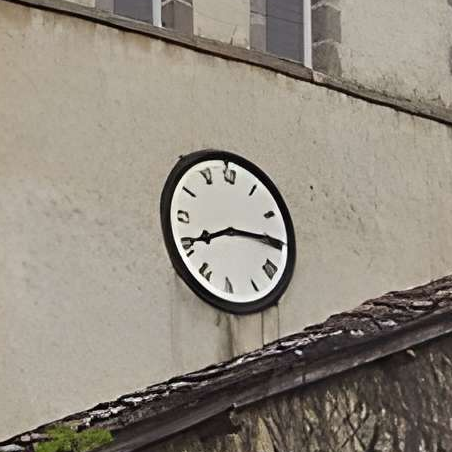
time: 8:14
